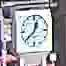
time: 12:38
